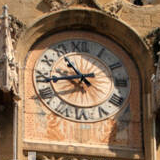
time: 10:43
